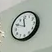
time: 11:49
